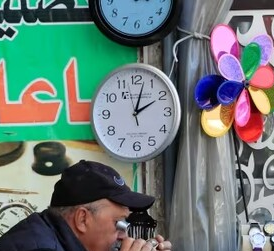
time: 2:02
